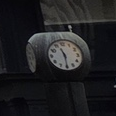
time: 11:29
